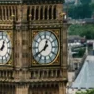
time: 12:39
